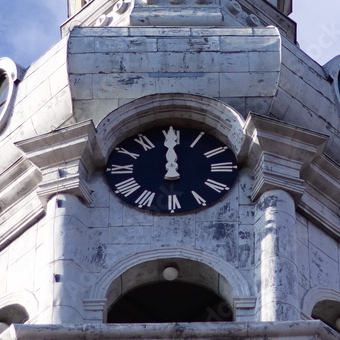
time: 11:59
